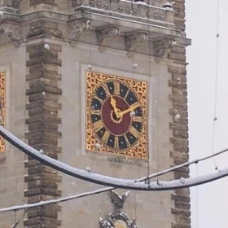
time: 11:11
